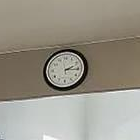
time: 2:15
